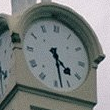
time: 4:27
